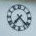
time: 7:22
